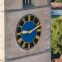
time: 9:10
